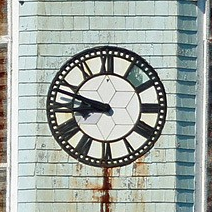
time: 8:47
